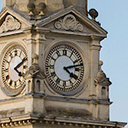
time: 4:12
